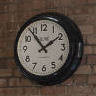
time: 1:53
